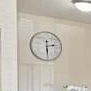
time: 2:29
